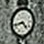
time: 4:42
